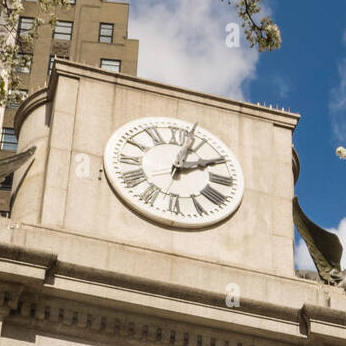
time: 2:02
